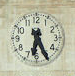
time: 6:25
